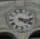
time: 4:16
